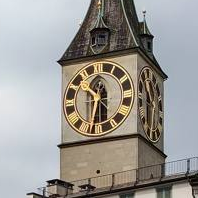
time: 10:32
